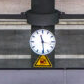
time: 11:28
